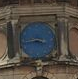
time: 3:43
